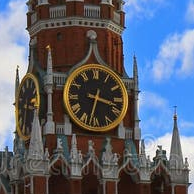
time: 3:32
